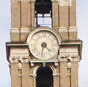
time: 4:31
